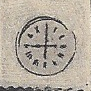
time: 9:00
